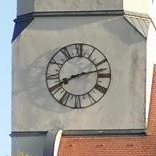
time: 8:12
